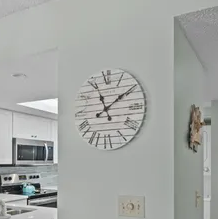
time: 11:09
